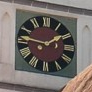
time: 1:46
